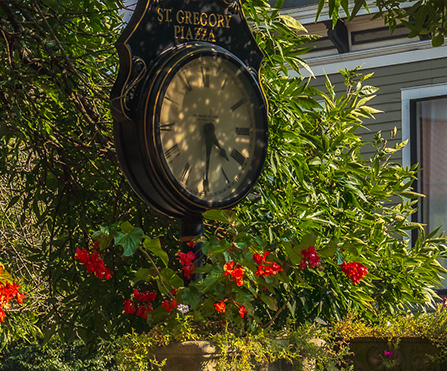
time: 4:30
